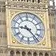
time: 9:23
